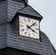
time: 4:07
